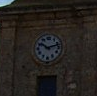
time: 10:12
